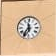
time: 11:35
